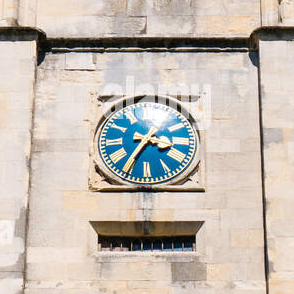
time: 3:35
